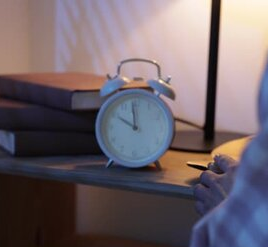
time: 9:59
